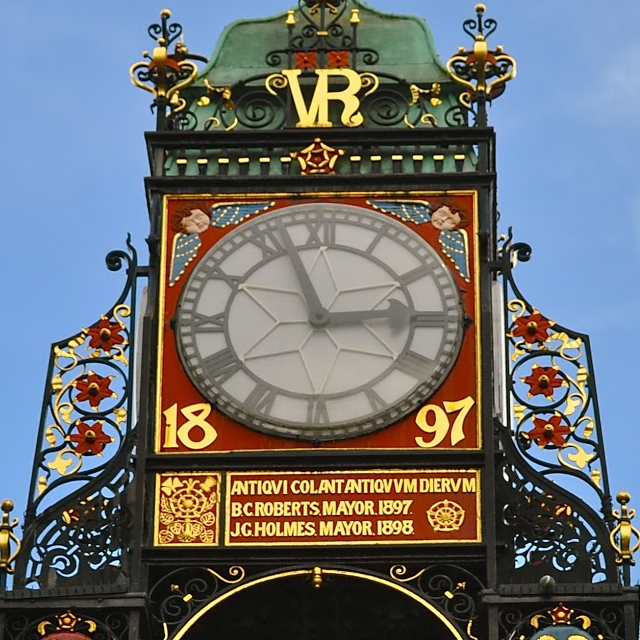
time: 2:57
